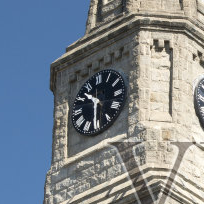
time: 10:31
